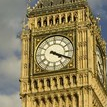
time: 4:19
